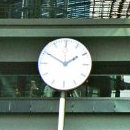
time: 1:50
